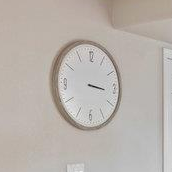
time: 3:16
